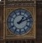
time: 1:11
